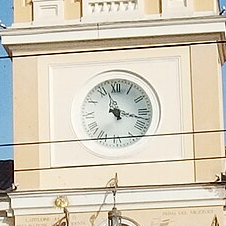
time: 11:17
